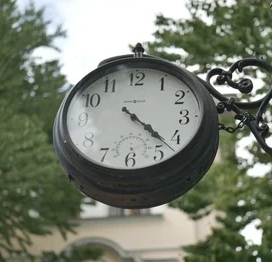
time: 4:22
